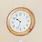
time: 10:33
